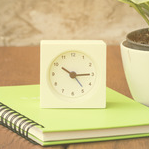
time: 10:14
